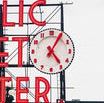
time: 5:05
